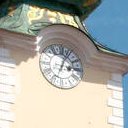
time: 3:04
